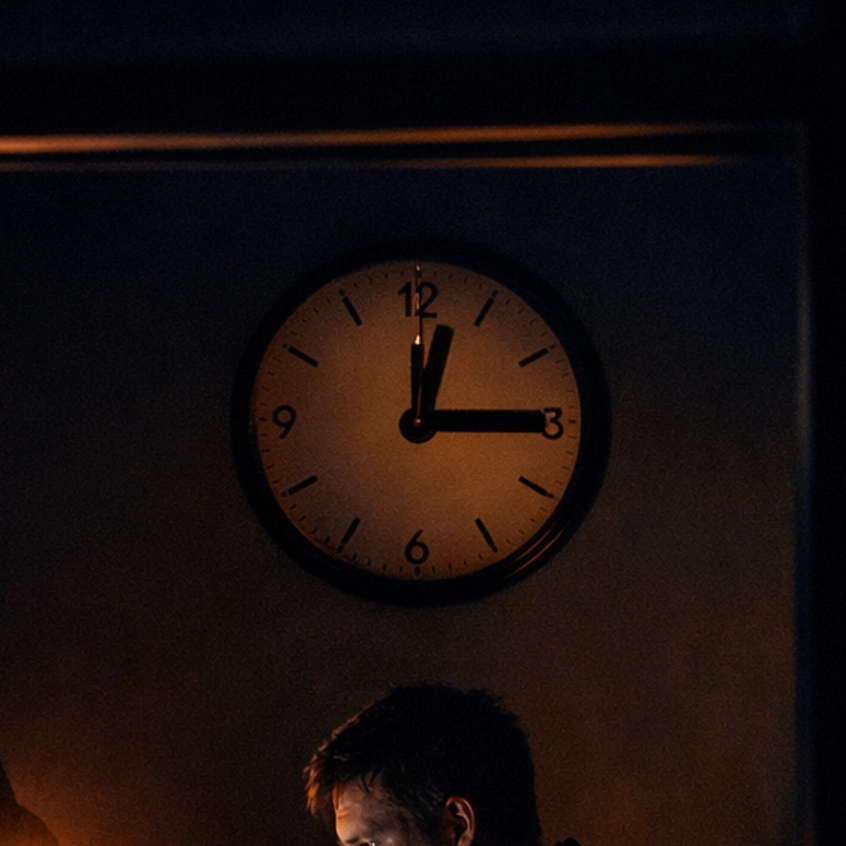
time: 12:14
